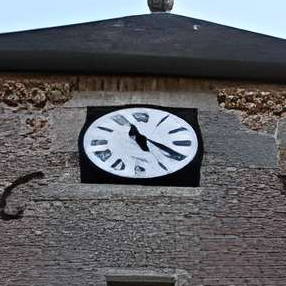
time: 11:19
